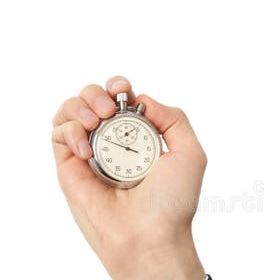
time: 3:48
